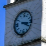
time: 3:19
